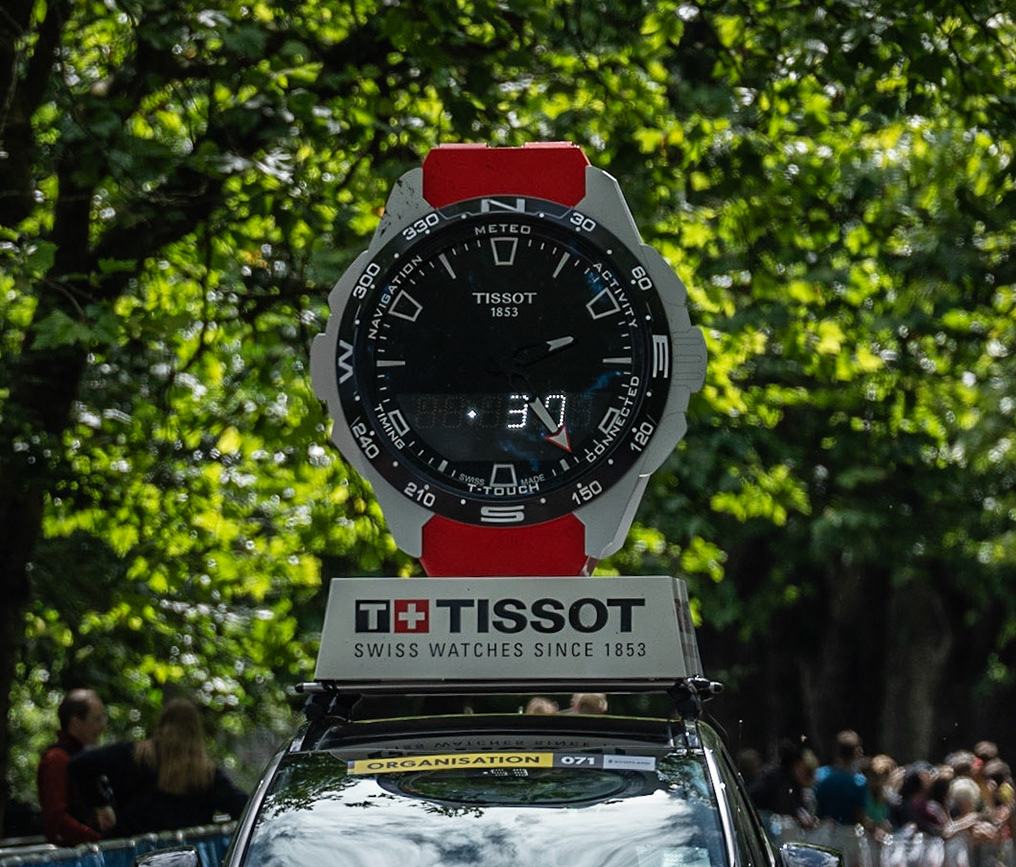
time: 4:43
